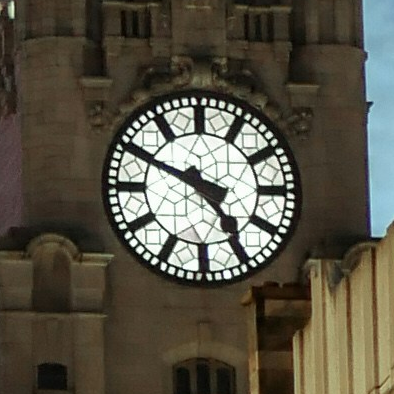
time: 4:49
